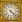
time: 4:22
